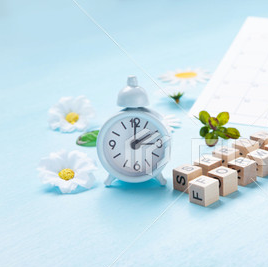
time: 2:00
